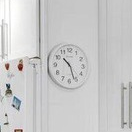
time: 10:26
